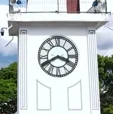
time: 3:40
